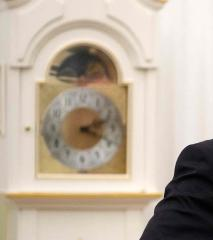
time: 2:18
